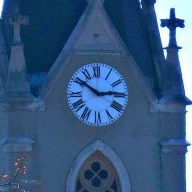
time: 2:50
